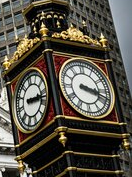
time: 3:18
